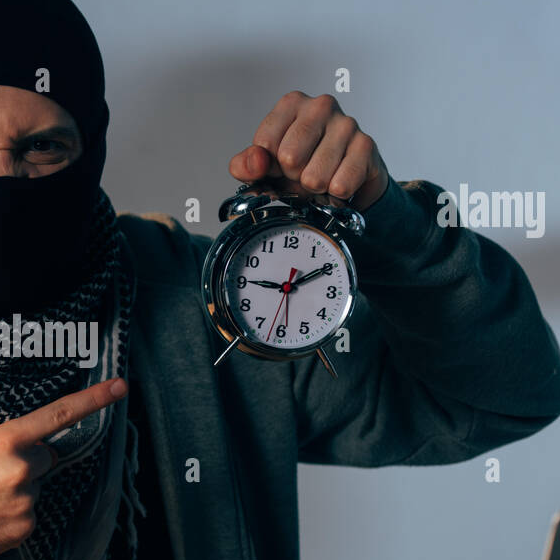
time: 9:10
